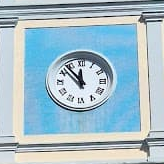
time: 11:53
